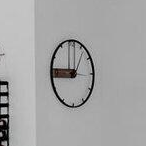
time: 9:01
